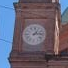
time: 1:13
